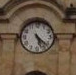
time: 5:22
